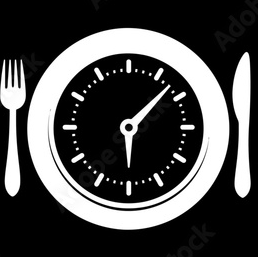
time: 6:07
